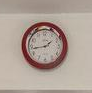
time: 1:43
